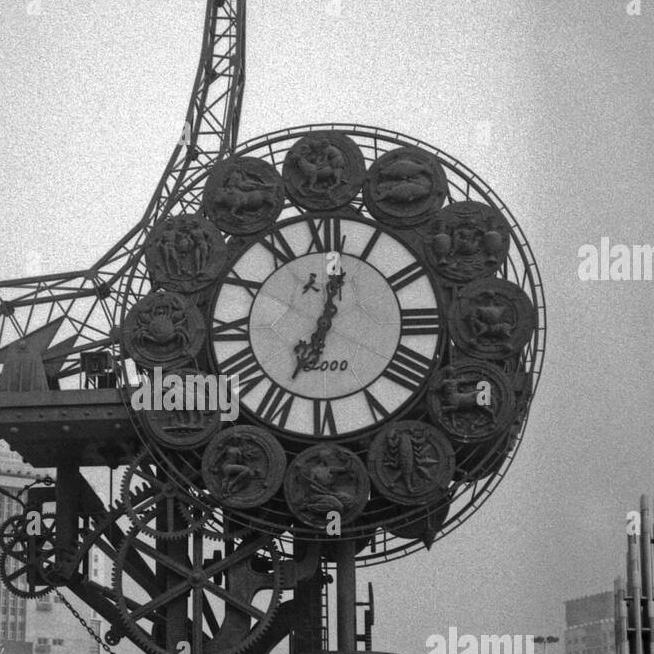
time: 7:02
